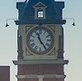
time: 11:24
